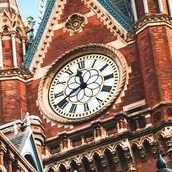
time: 11:41
